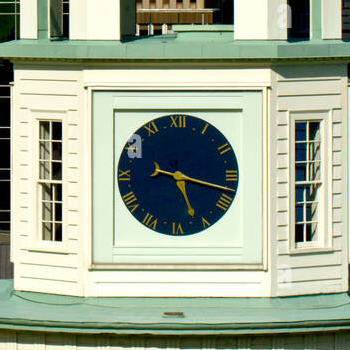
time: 5:17
